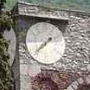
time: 1:37
